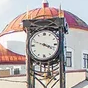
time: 3:48
